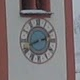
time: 2:41
